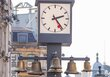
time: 2:24
